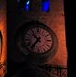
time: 10:36
